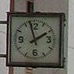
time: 1:57
